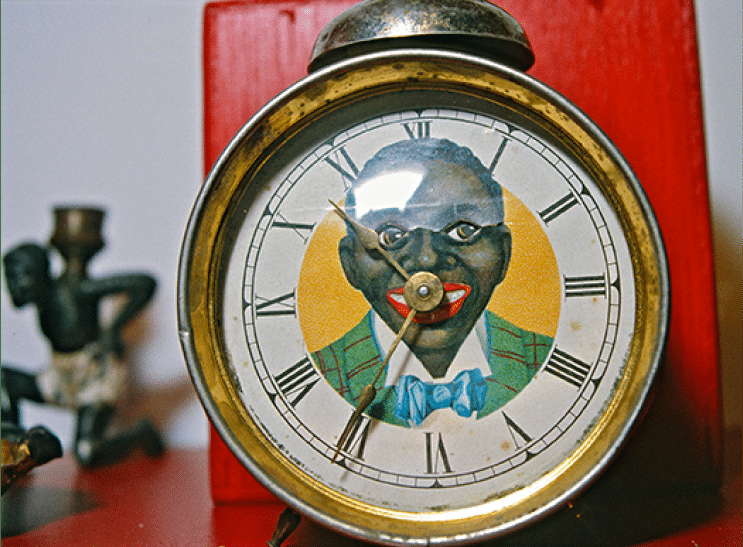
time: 10:35
